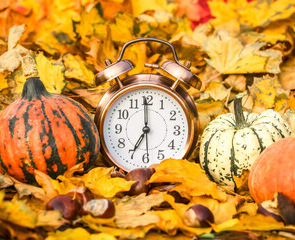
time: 6:59
